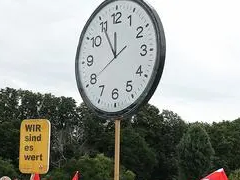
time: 11:54
